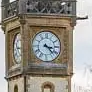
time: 3:22
